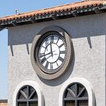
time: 11:42
